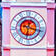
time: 6:17
